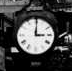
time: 3:00
